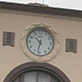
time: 10:32
